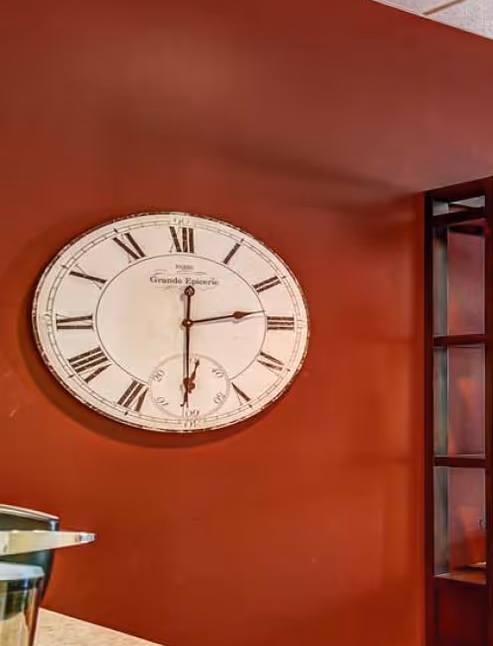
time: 2:30
